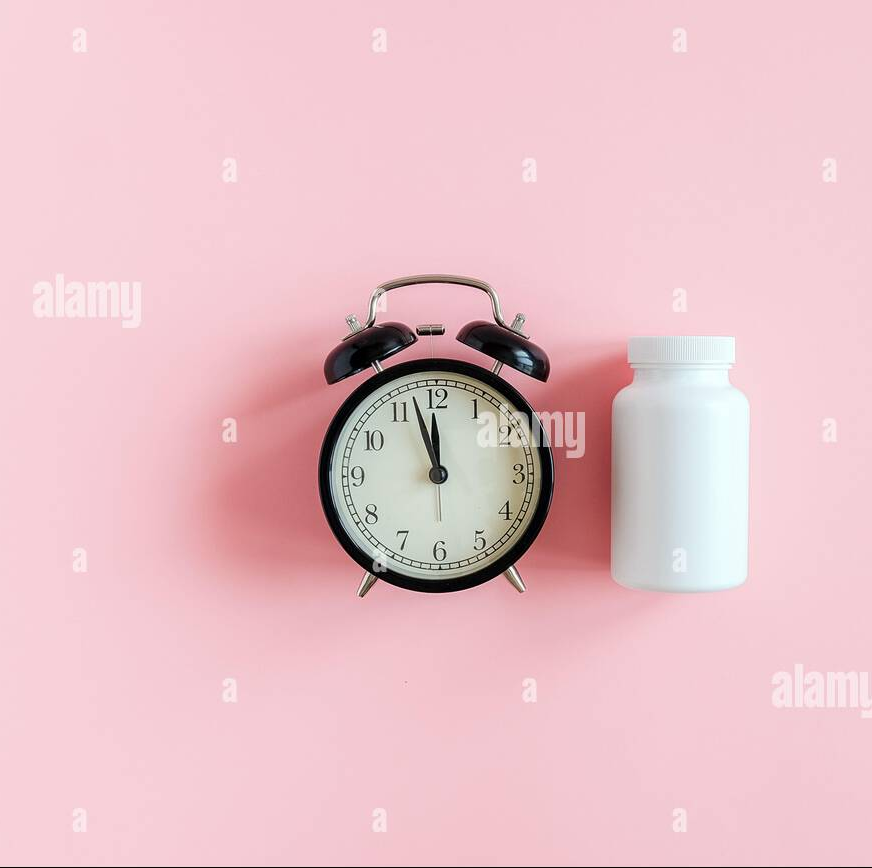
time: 11:57
